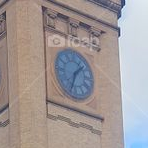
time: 1:33
